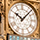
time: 10:07
